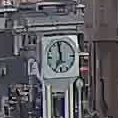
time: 6:59
